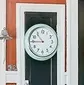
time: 10:45
